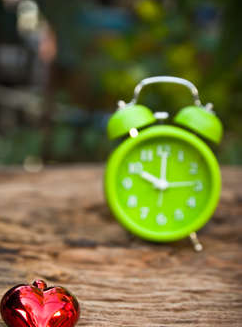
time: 10:00
